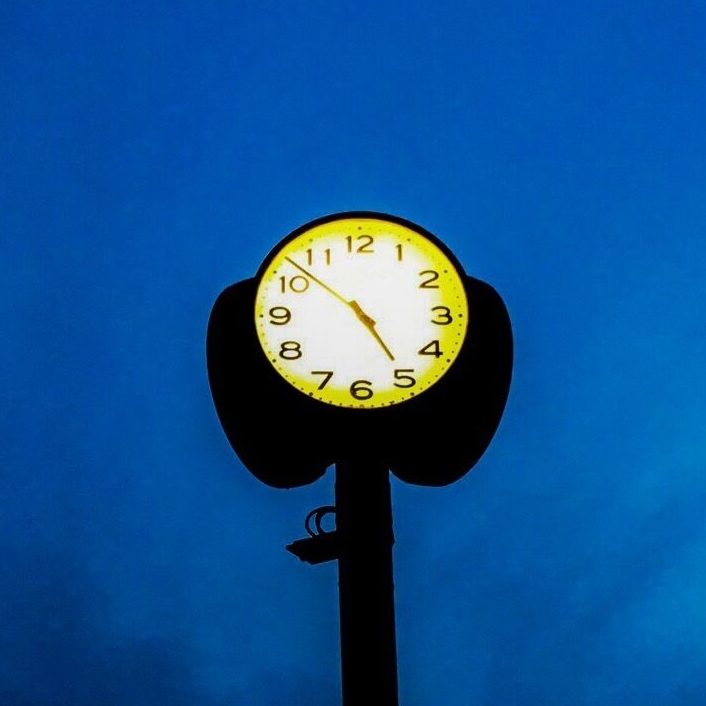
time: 4:52
